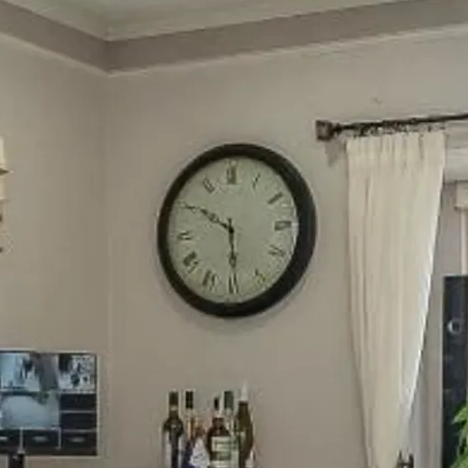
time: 5:50
